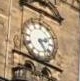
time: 2:23
